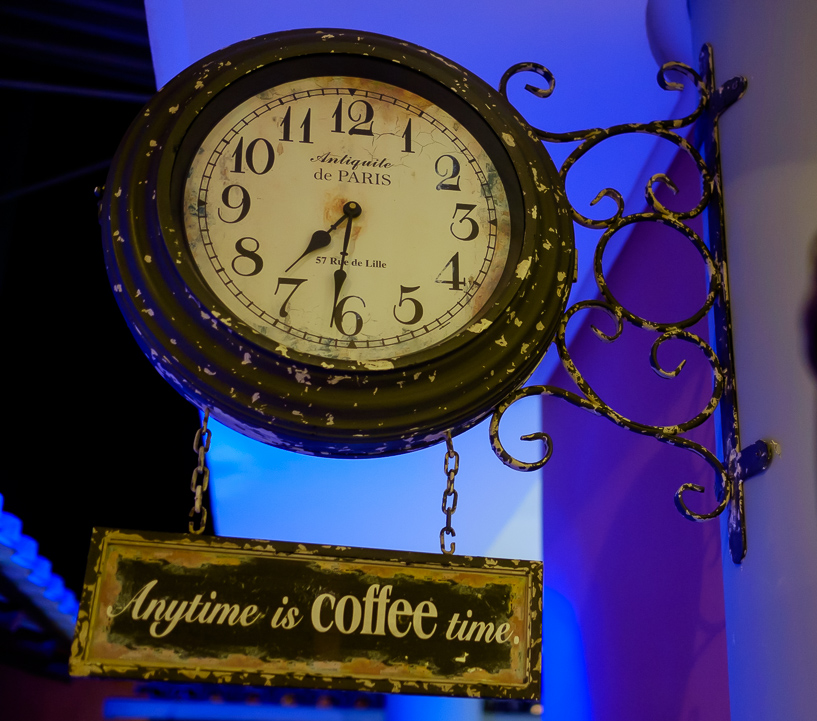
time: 7:30
